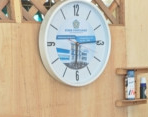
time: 6:14
